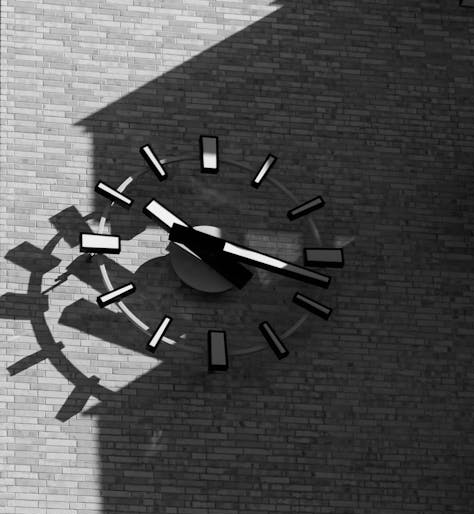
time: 10:17
